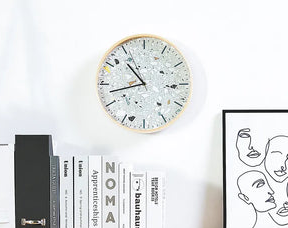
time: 10:42
